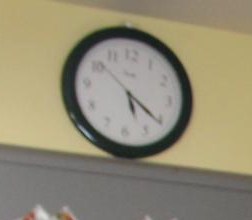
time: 5:20
